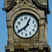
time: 12:39
